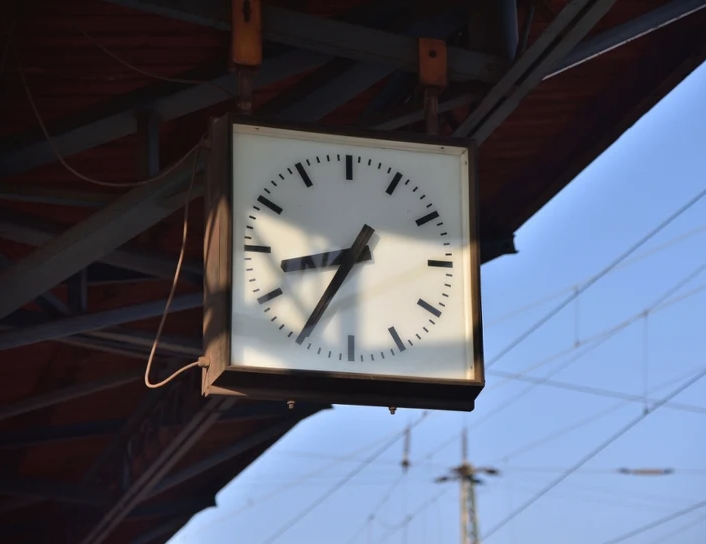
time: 8:35
